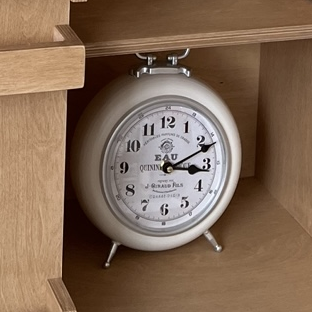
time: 3:11
